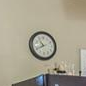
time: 10:40
